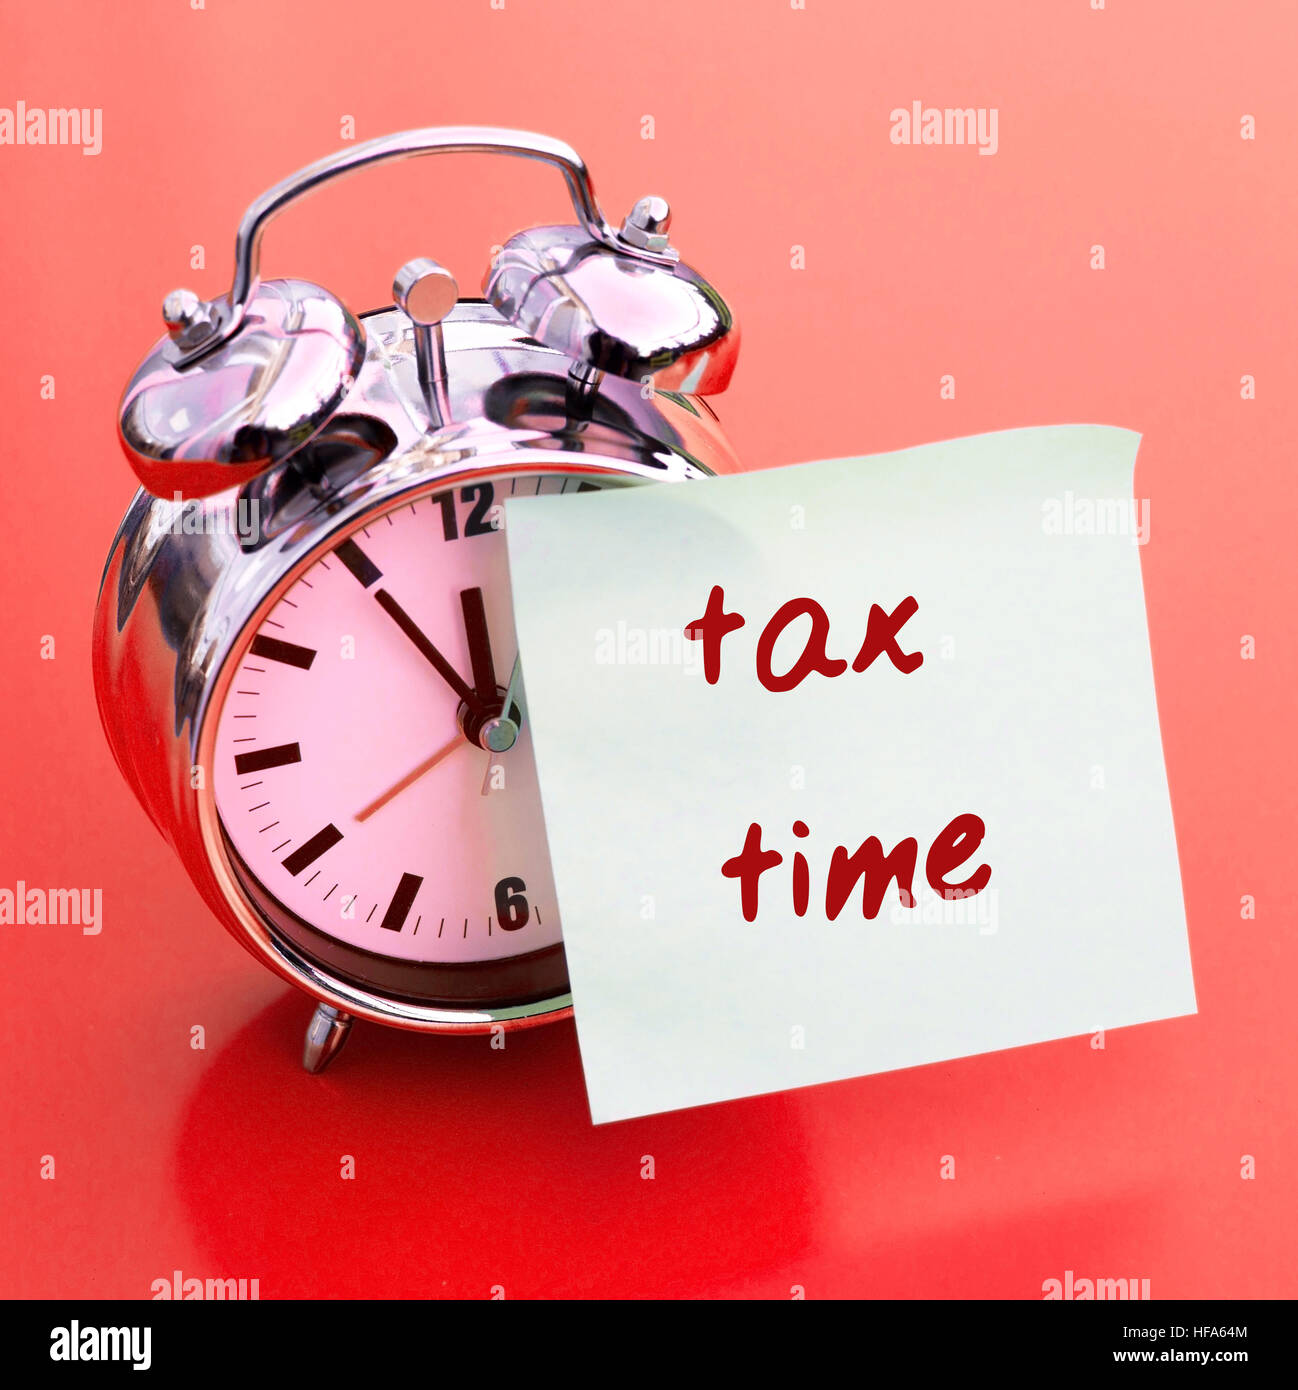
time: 11:54
